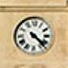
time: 4:22
